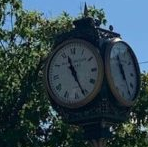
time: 11:26
